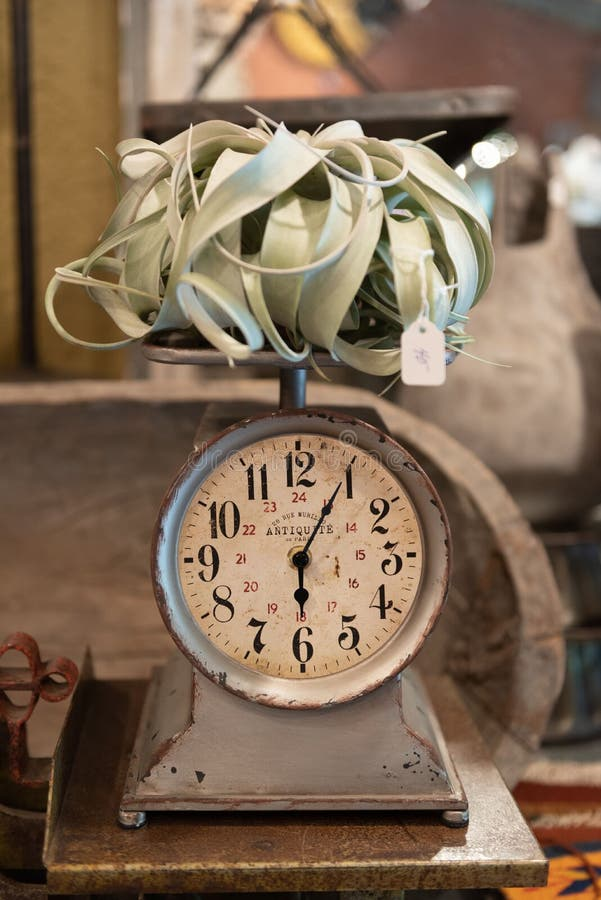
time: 6:04
